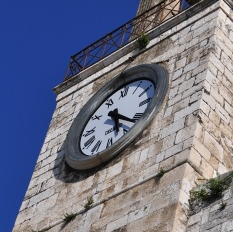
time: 5:21
